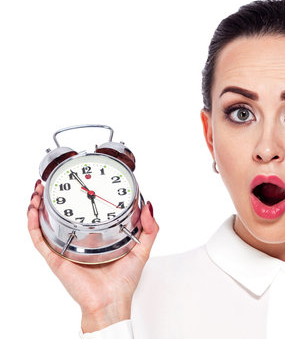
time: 5:55
